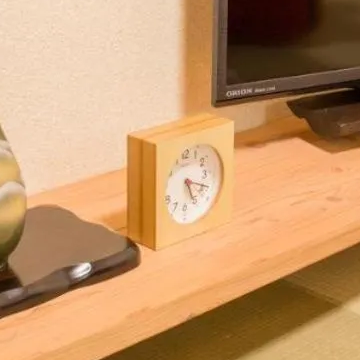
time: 5:18
